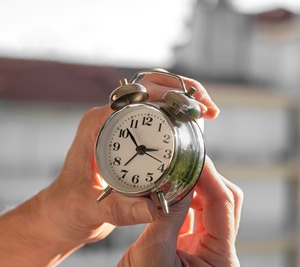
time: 2:52
